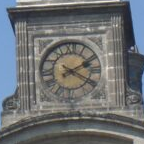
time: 2:19
